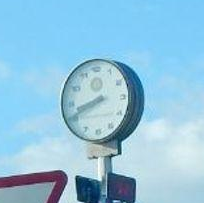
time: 8:41
